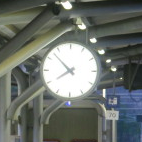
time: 7:52
